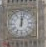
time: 12:02
